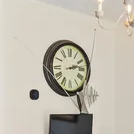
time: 2:13
